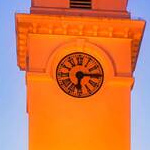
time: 6:13
